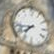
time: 7:42
